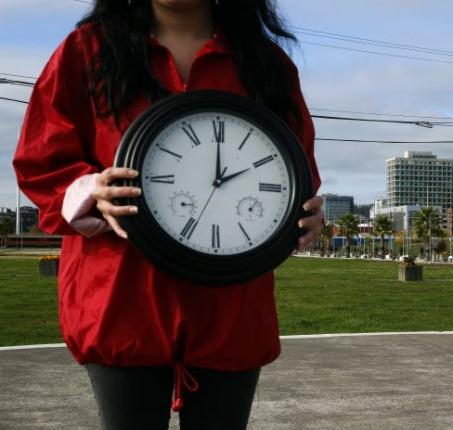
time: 2:00
